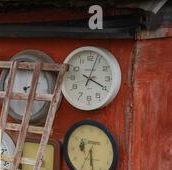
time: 4:03
